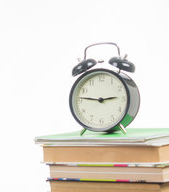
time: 2:46
